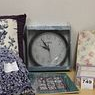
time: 9:54
